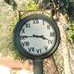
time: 3:45
